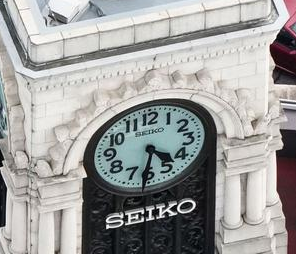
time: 4:31
